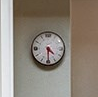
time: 4:29
